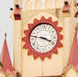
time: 3:47
